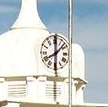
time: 8:07
